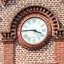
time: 3:45
